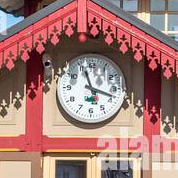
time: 11:18
